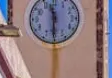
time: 11:30
